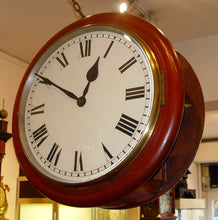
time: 12:50
